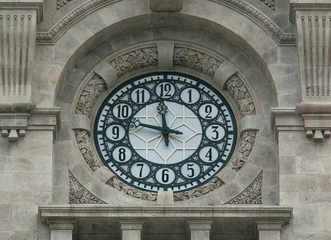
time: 11:47
